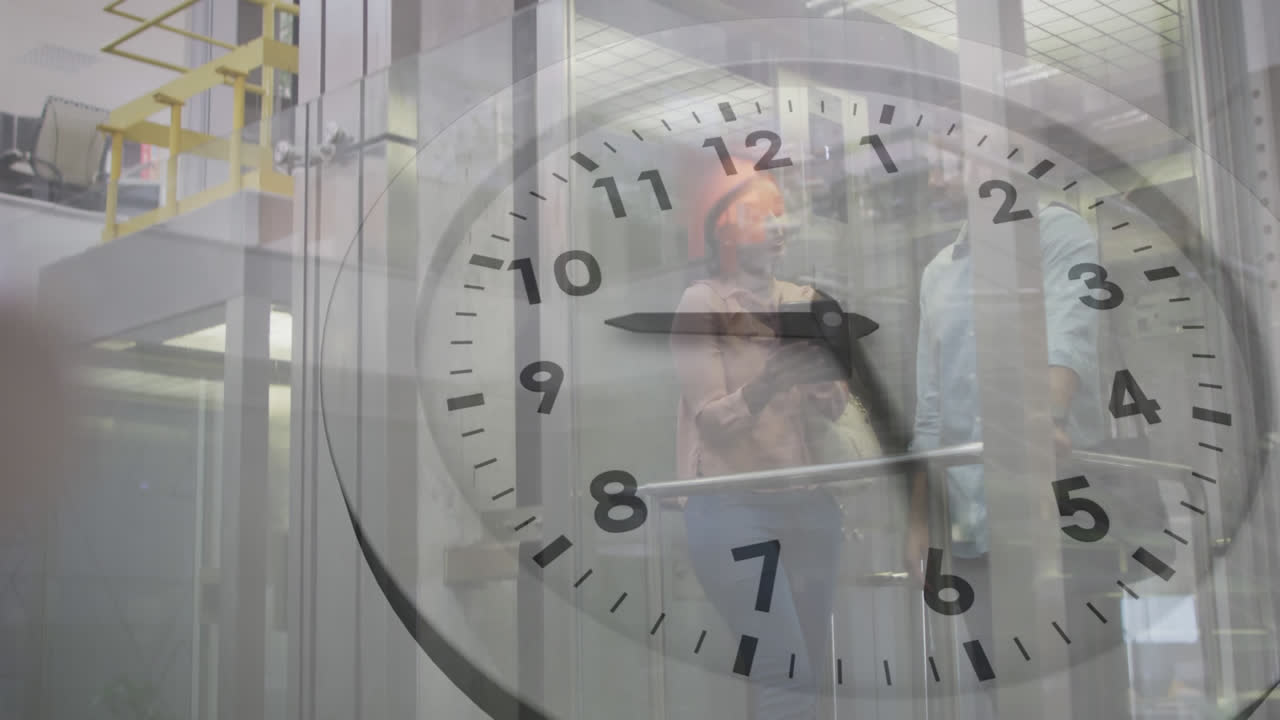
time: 9:29
